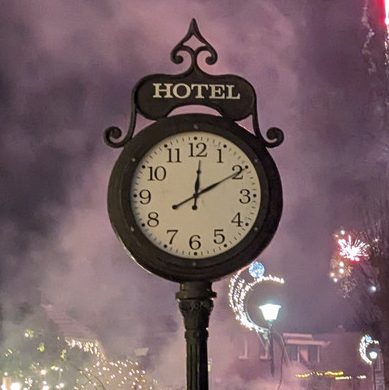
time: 12:10
